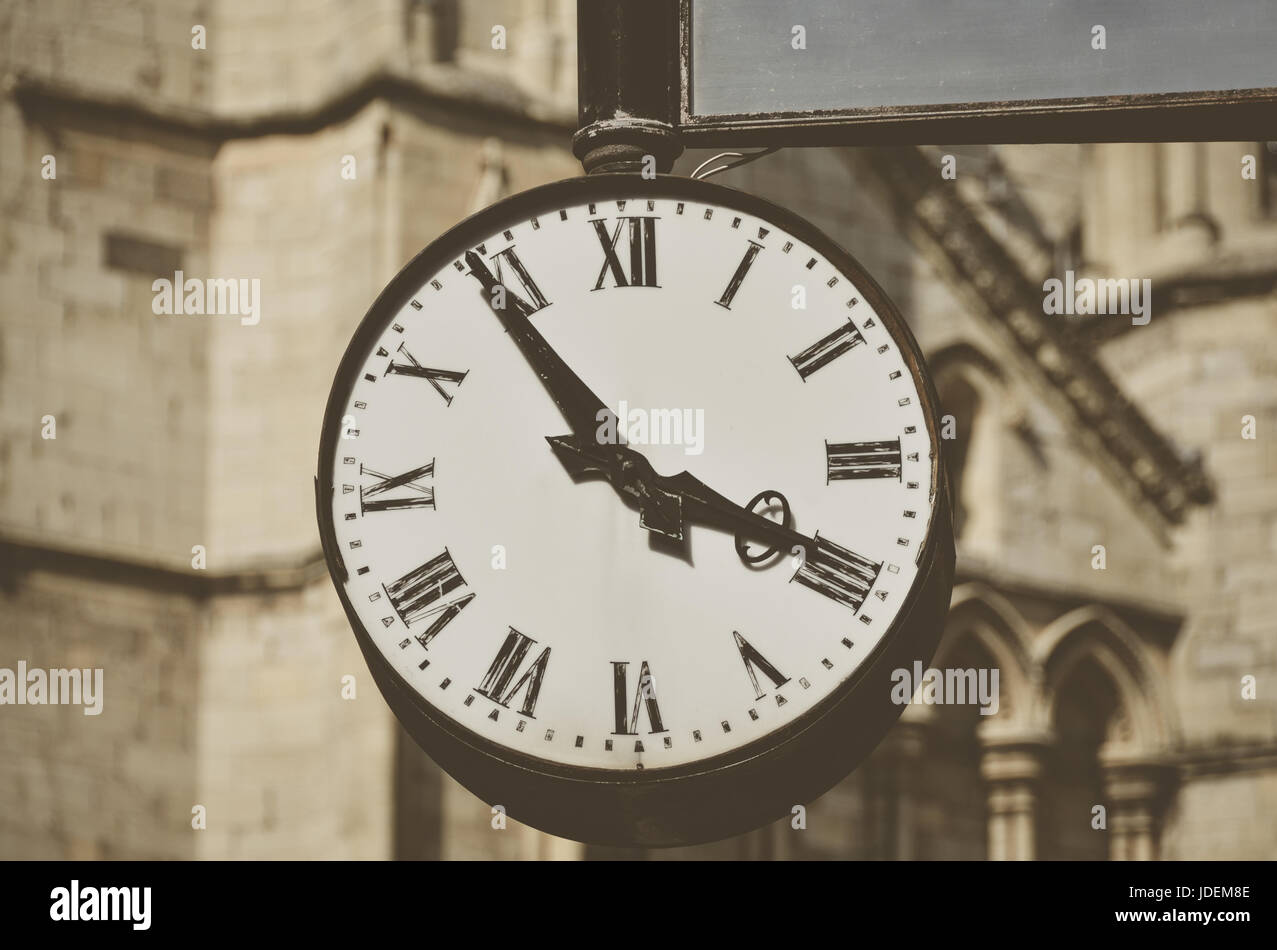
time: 3:54
